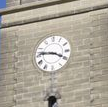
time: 3:46
